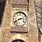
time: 2:40
